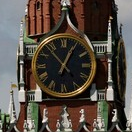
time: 12:53
